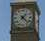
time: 1:22
